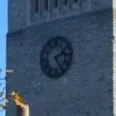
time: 2:24
